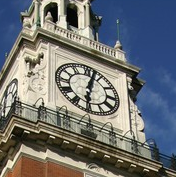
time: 6:02
